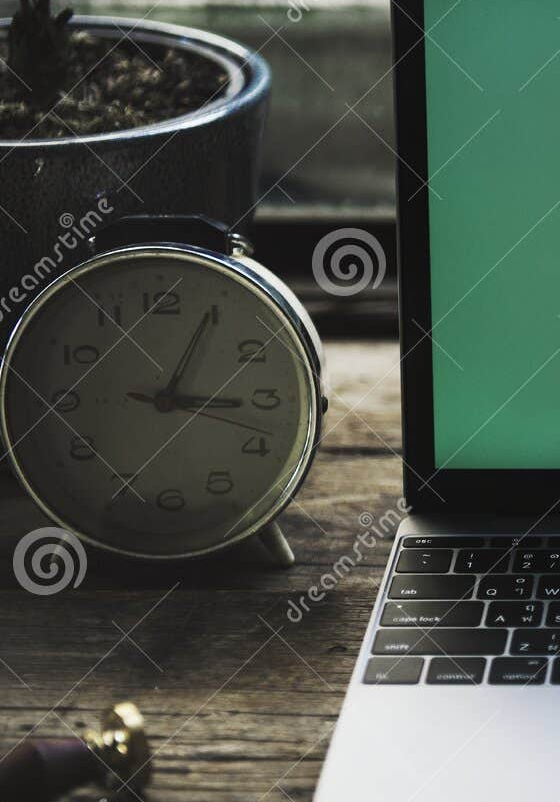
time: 3:04
